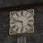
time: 9:28
